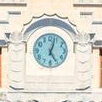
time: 5:03
